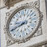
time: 8:40
